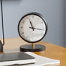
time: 11:16
